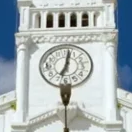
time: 7:02
